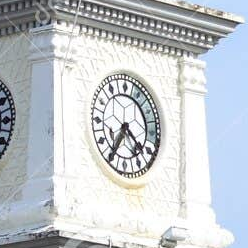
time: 4:35
